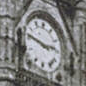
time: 2:46
